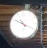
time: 10:50
